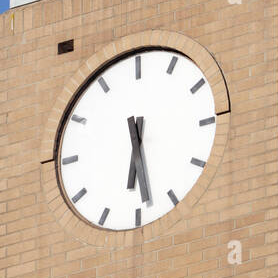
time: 6:28
